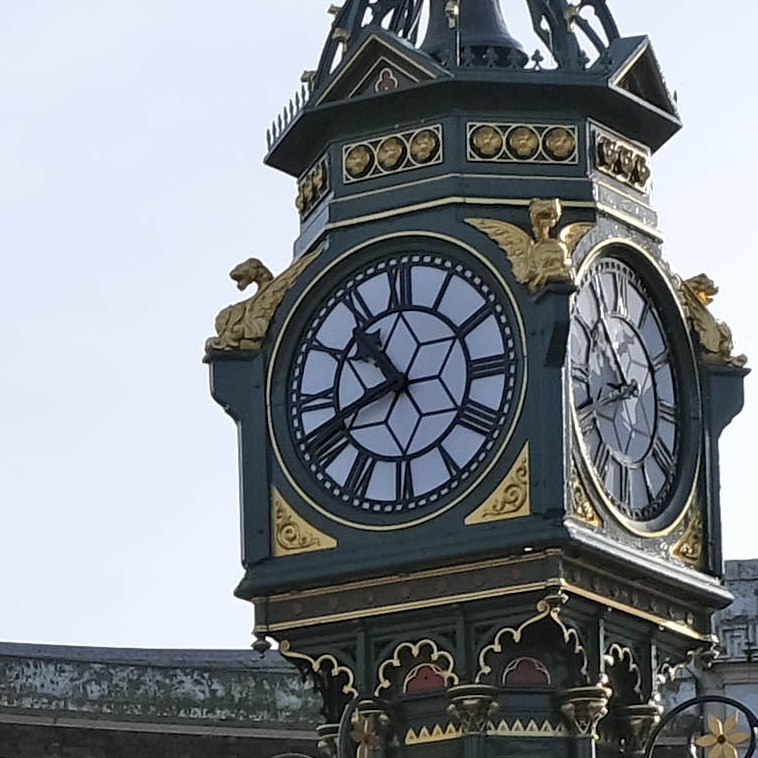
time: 10:41
